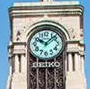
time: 10:07
